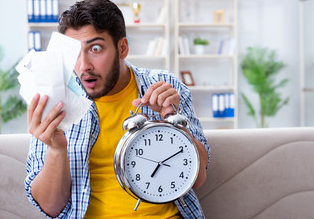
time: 7:10
